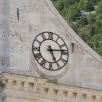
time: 5:13
